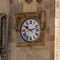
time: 10:12
